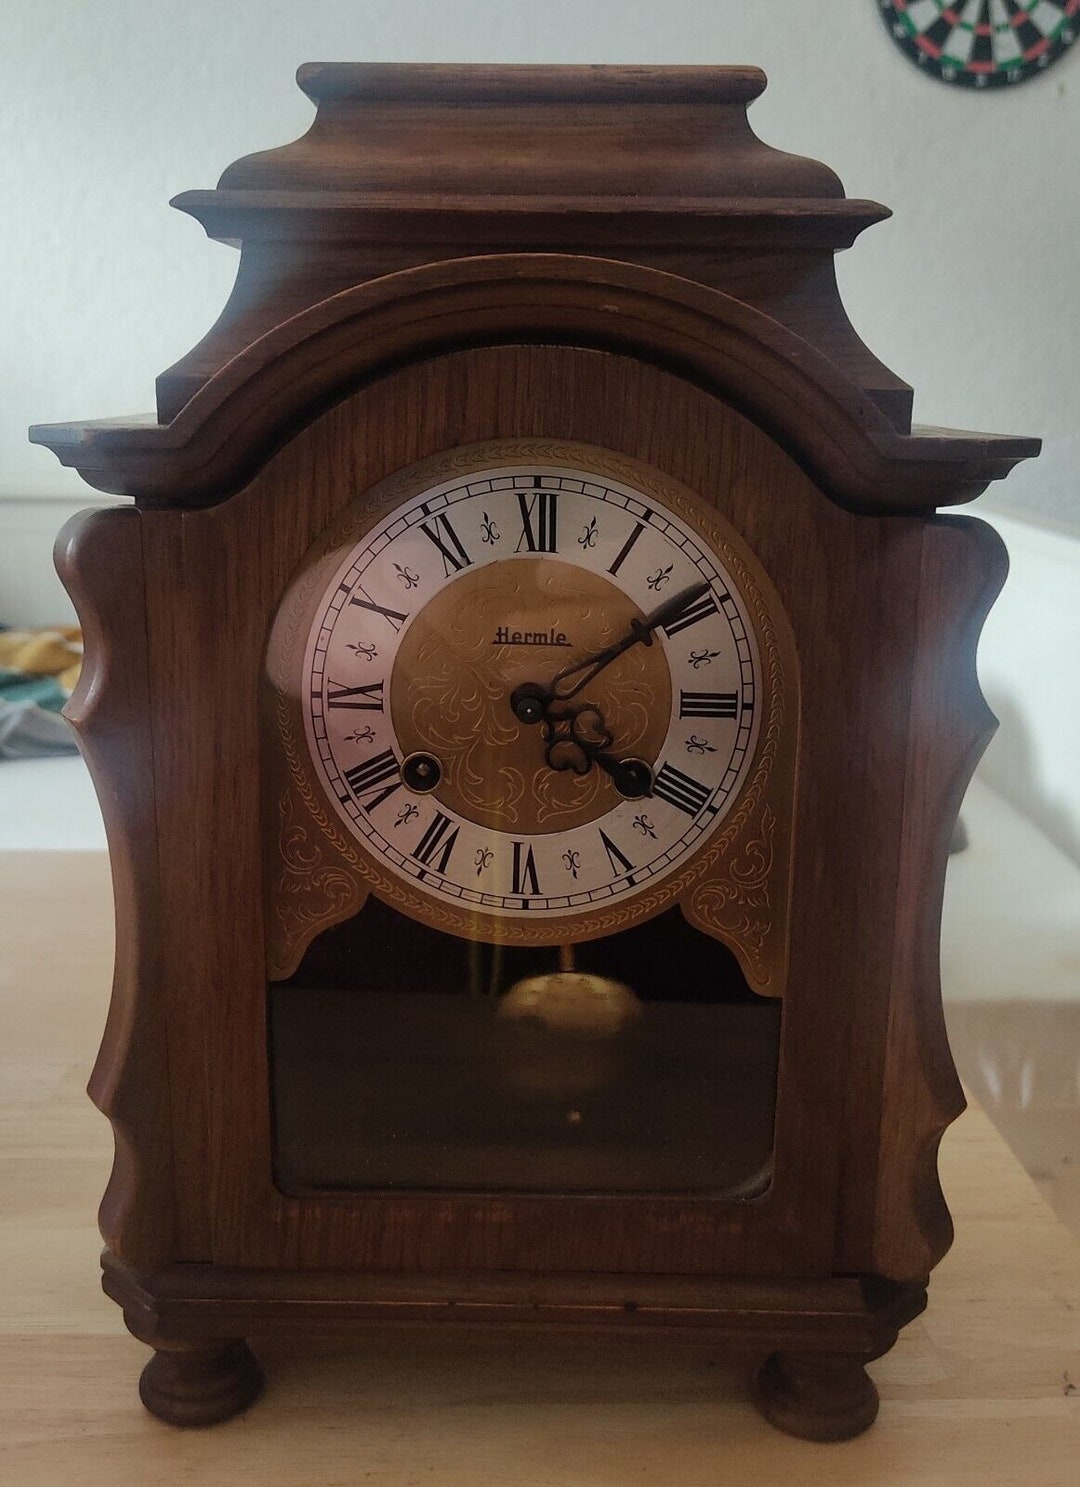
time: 4:09
